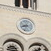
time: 8:33
